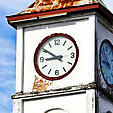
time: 8:50
